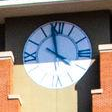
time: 3:58
